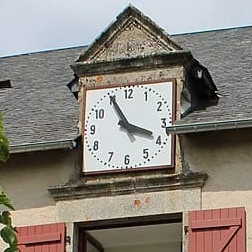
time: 3:55
